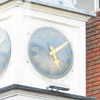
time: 5:08
